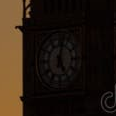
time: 5:01
